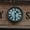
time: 1:29
